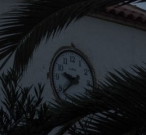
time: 9:38
